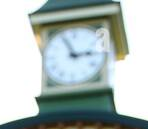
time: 2:56
